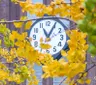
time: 11:04
